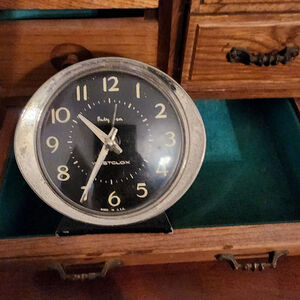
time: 10:35
